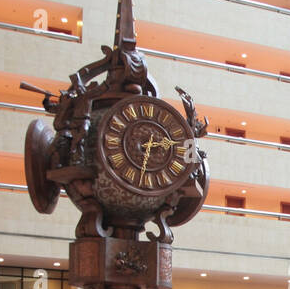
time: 2:32
